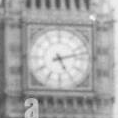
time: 5:12
